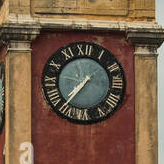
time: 7:36
